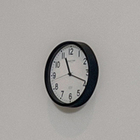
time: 11:18
